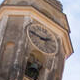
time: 2:48
